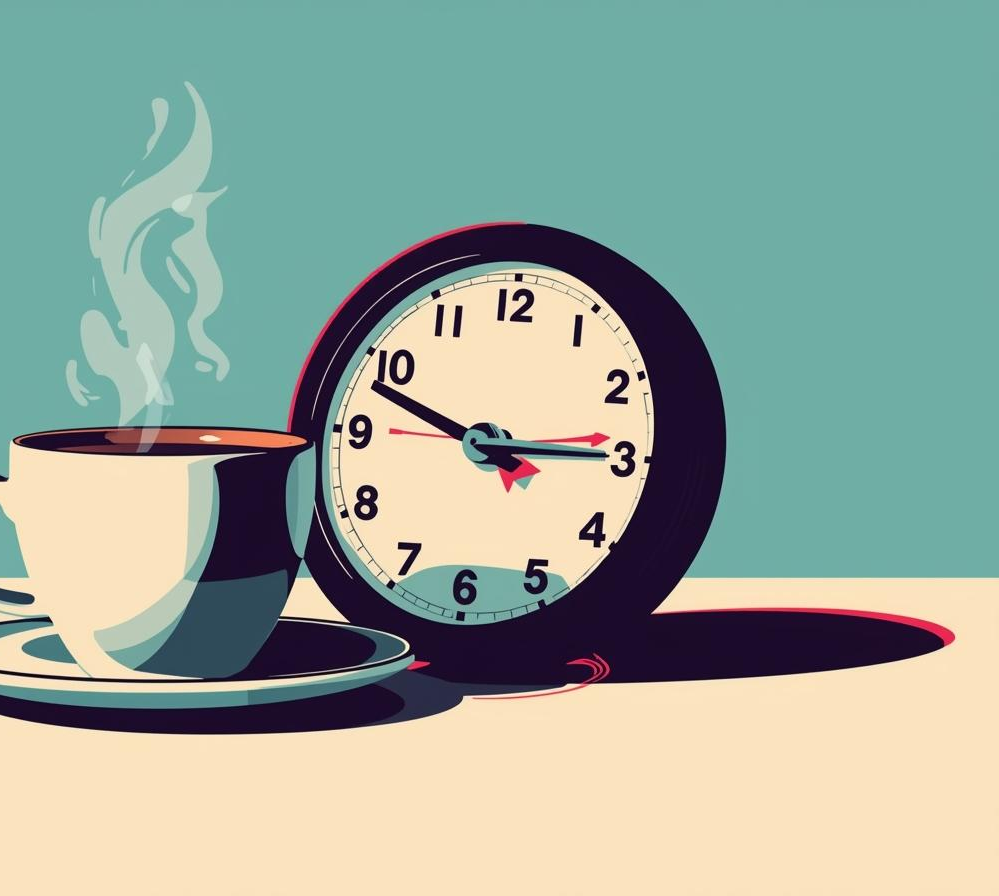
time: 2:48
